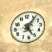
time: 5:06
